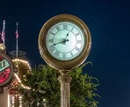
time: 12:41
